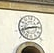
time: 2:42
